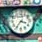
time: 3:35
